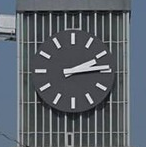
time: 2:14
